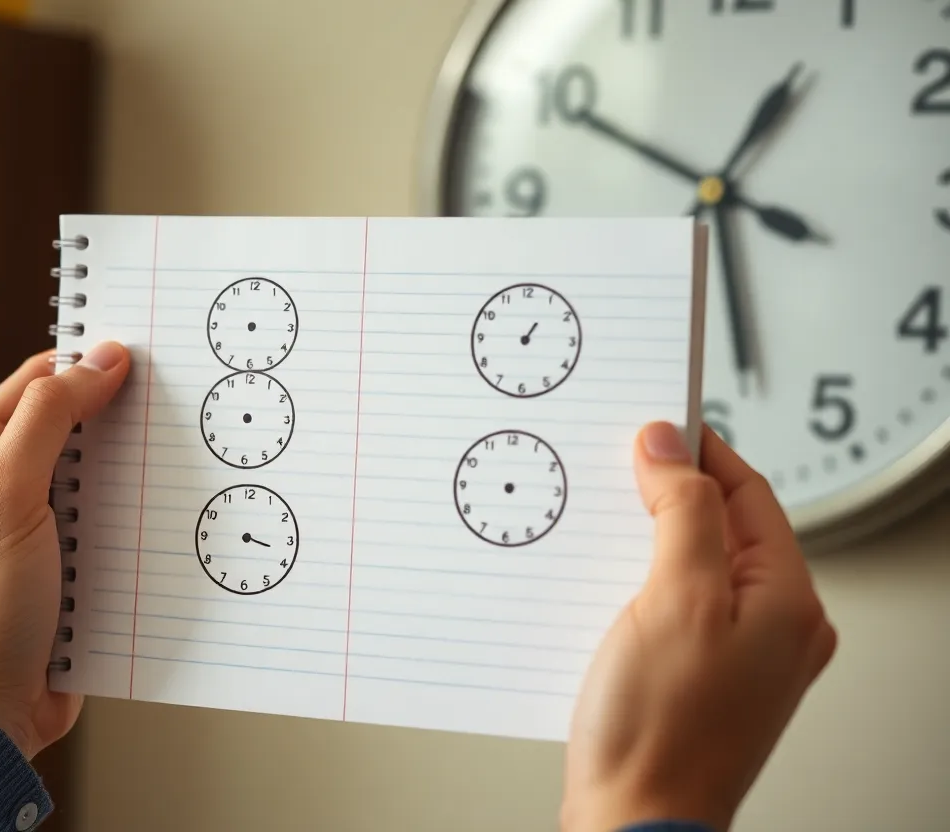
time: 12:49
